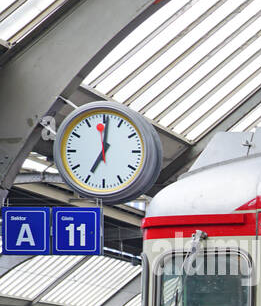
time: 7:00
